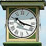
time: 10:17
